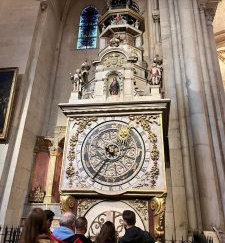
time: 9:35
